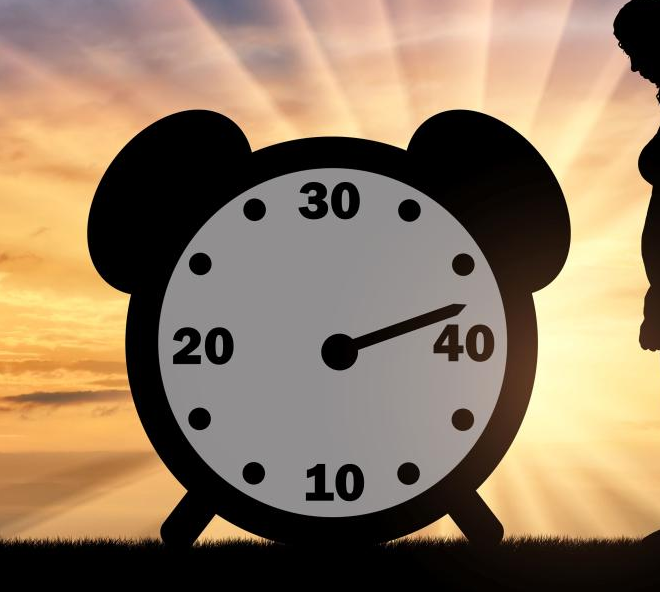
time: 2:12
